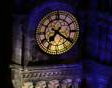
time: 7:20
